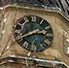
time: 2:40
